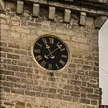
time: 11:07
